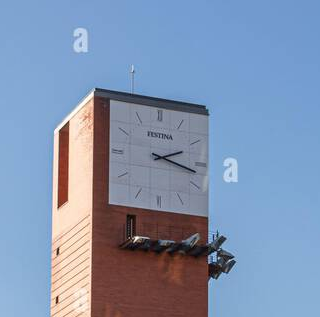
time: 2:17
